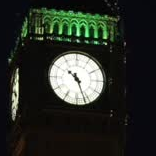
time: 10:26
